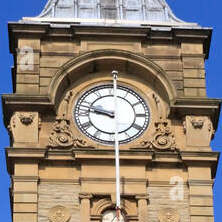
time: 9:47
